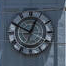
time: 12:49
